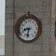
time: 8:32
